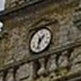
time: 1:32
